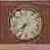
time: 7:33
